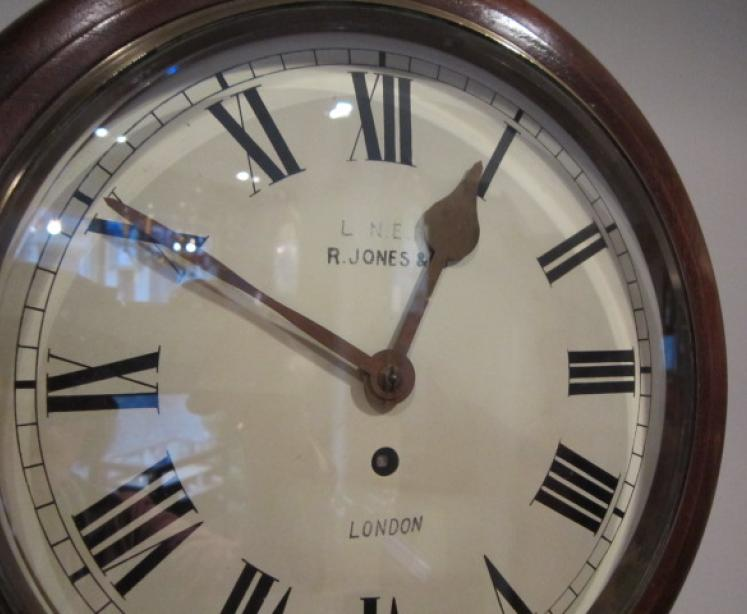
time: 12:50
